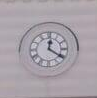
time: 12:20
